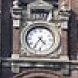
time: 4:35
